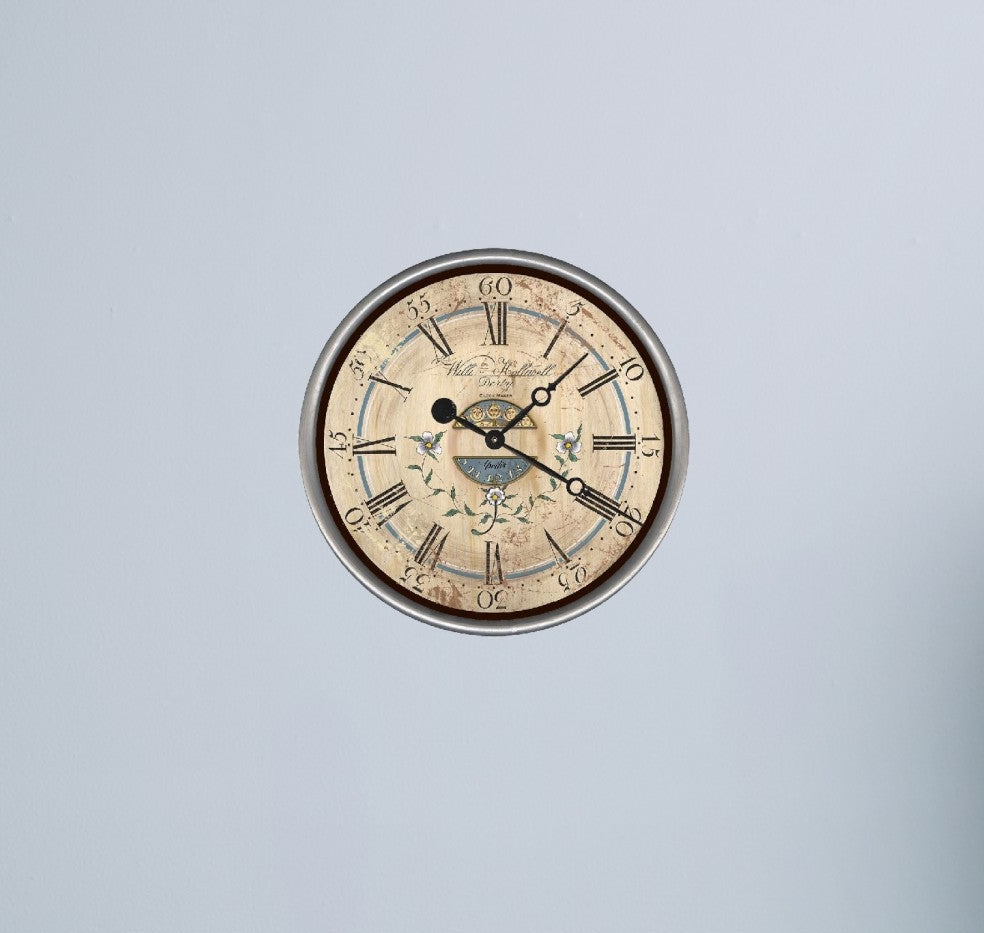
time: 1:19
